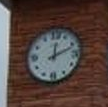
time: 12:11
